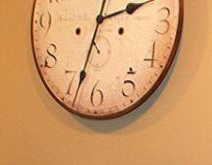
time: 2:33
